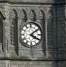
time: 4:08
